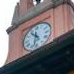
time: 10:32
